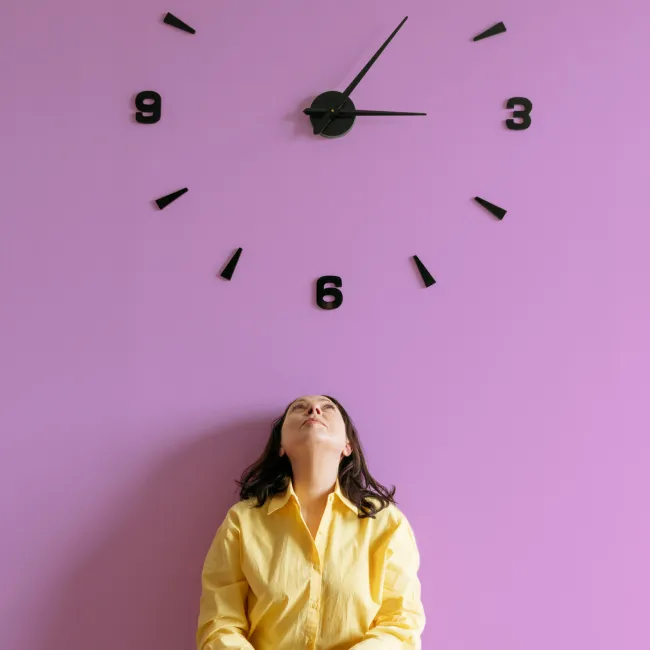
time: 3:05
